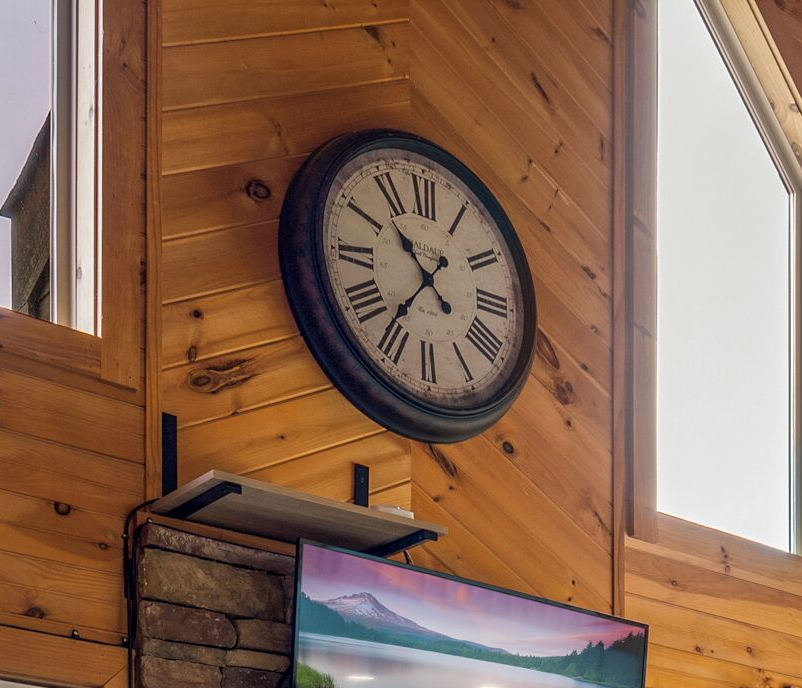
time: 10:36
